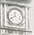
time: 11:40
